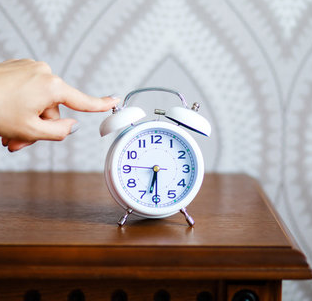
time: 6:30
